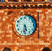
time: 5:31
